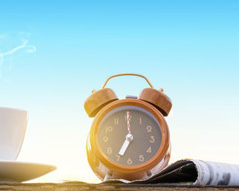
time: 7:00
